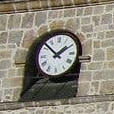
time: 1:52
